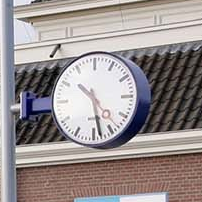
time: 10:28
